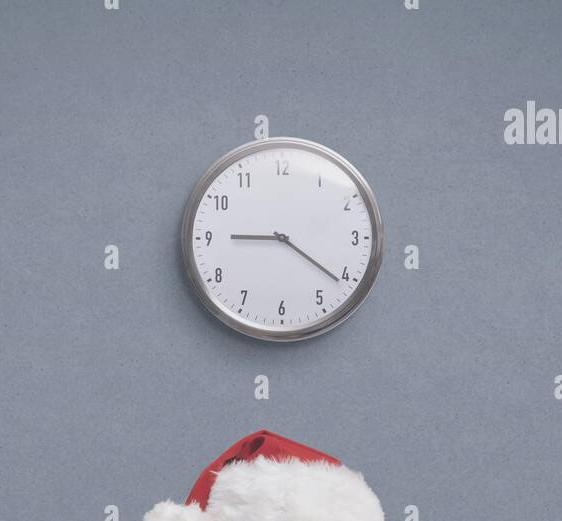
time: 9:21
